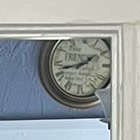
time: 1:42
